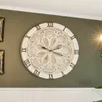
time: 2:18
